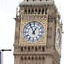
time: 12:55
